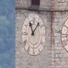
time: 11:07
